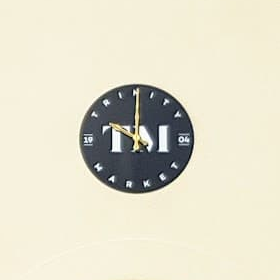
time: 10:00
